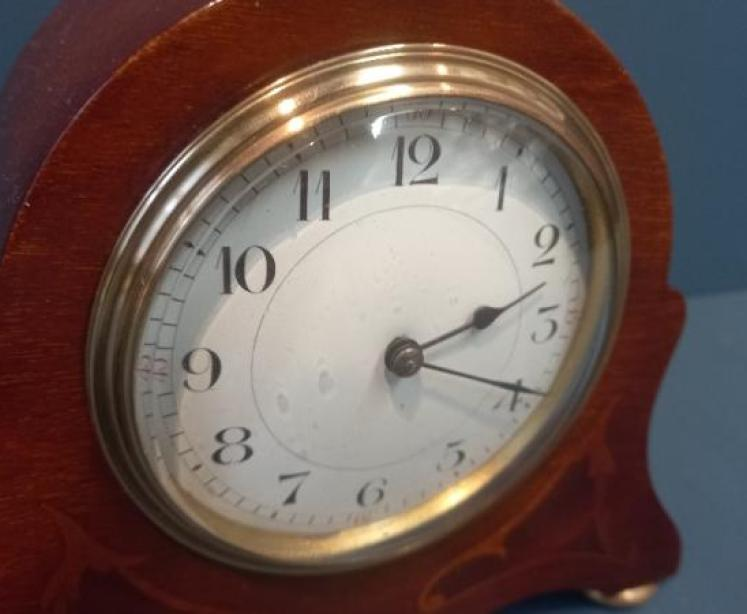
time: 2:18
